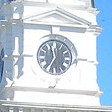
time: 11:35
